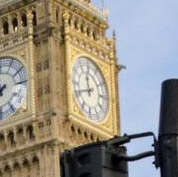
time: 11:41
